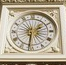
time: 1:31
